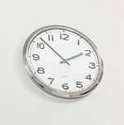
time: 1:52
